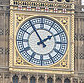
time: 1:54
